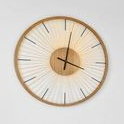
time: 4:01
